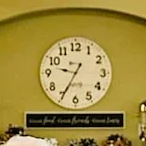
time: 9:34
